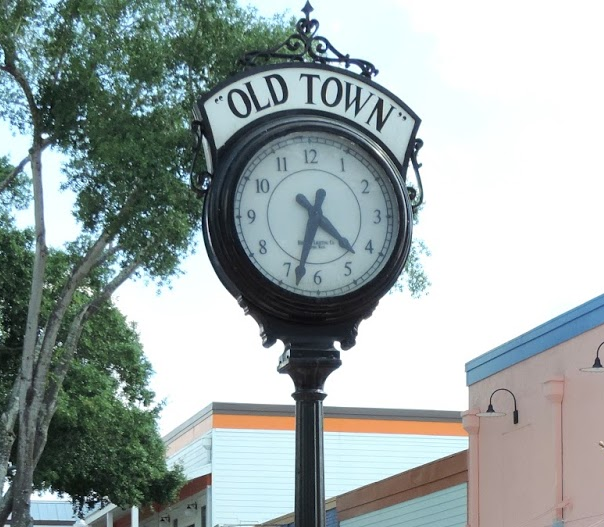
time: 4:33
